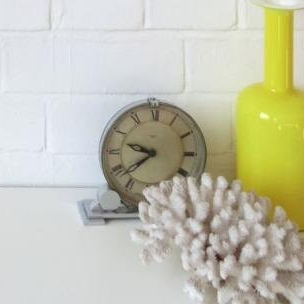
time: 9:38
